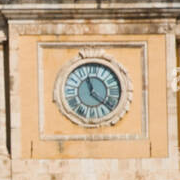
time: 11:21
